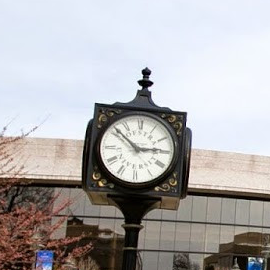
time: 2:52
